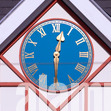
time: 12:30
